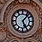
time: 5:06
